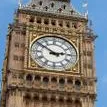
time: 2:51
